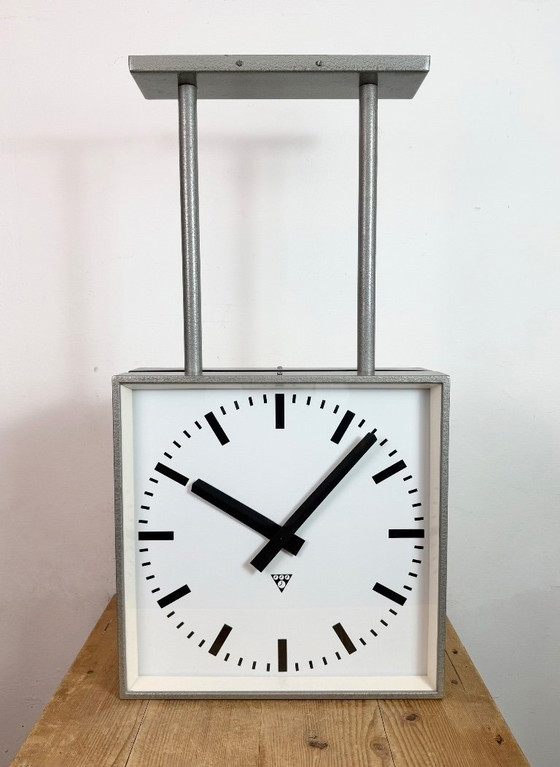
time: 10:07
